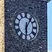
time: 6:06
